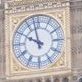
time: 9:57
